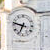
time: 6:47
